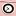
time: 10:37
